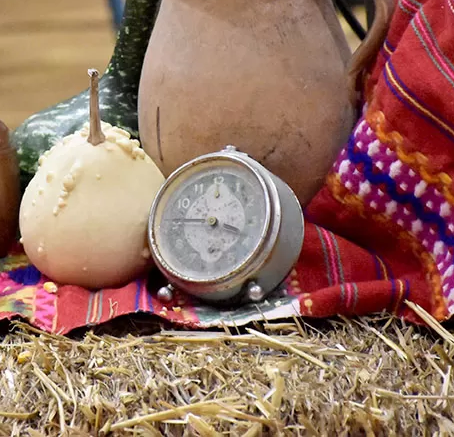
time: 3:45
